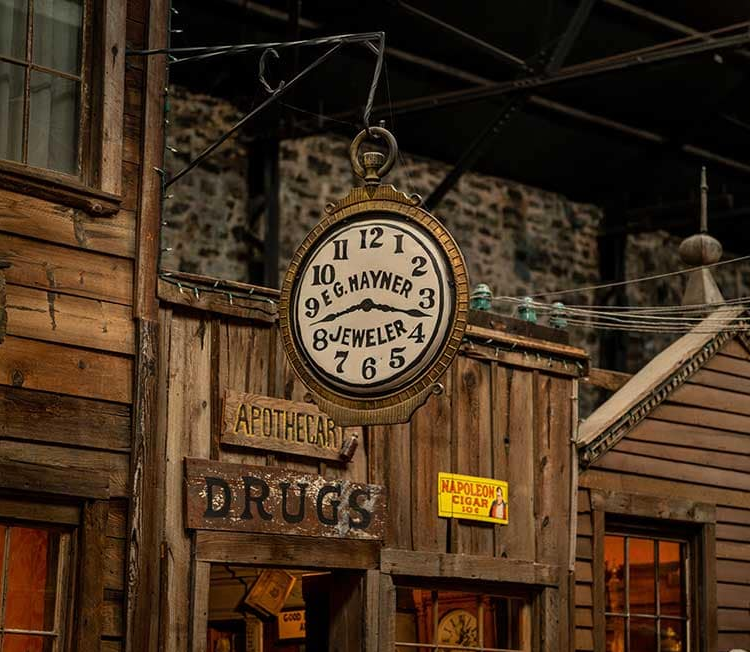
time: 8:17
